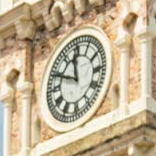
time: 11:48
